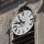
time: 10:47
